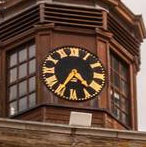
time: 4:35
